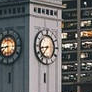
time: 8:36
